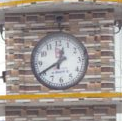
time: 12:40
